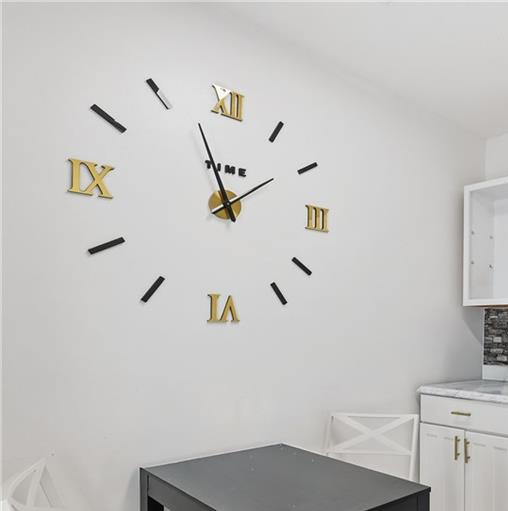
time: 1:56
